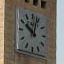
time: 10:02
